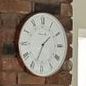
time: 1:33
